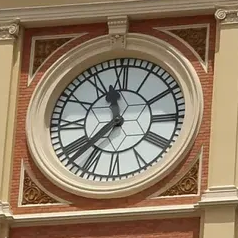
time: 11:37
